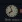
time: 7:57
